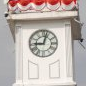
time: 9:02
